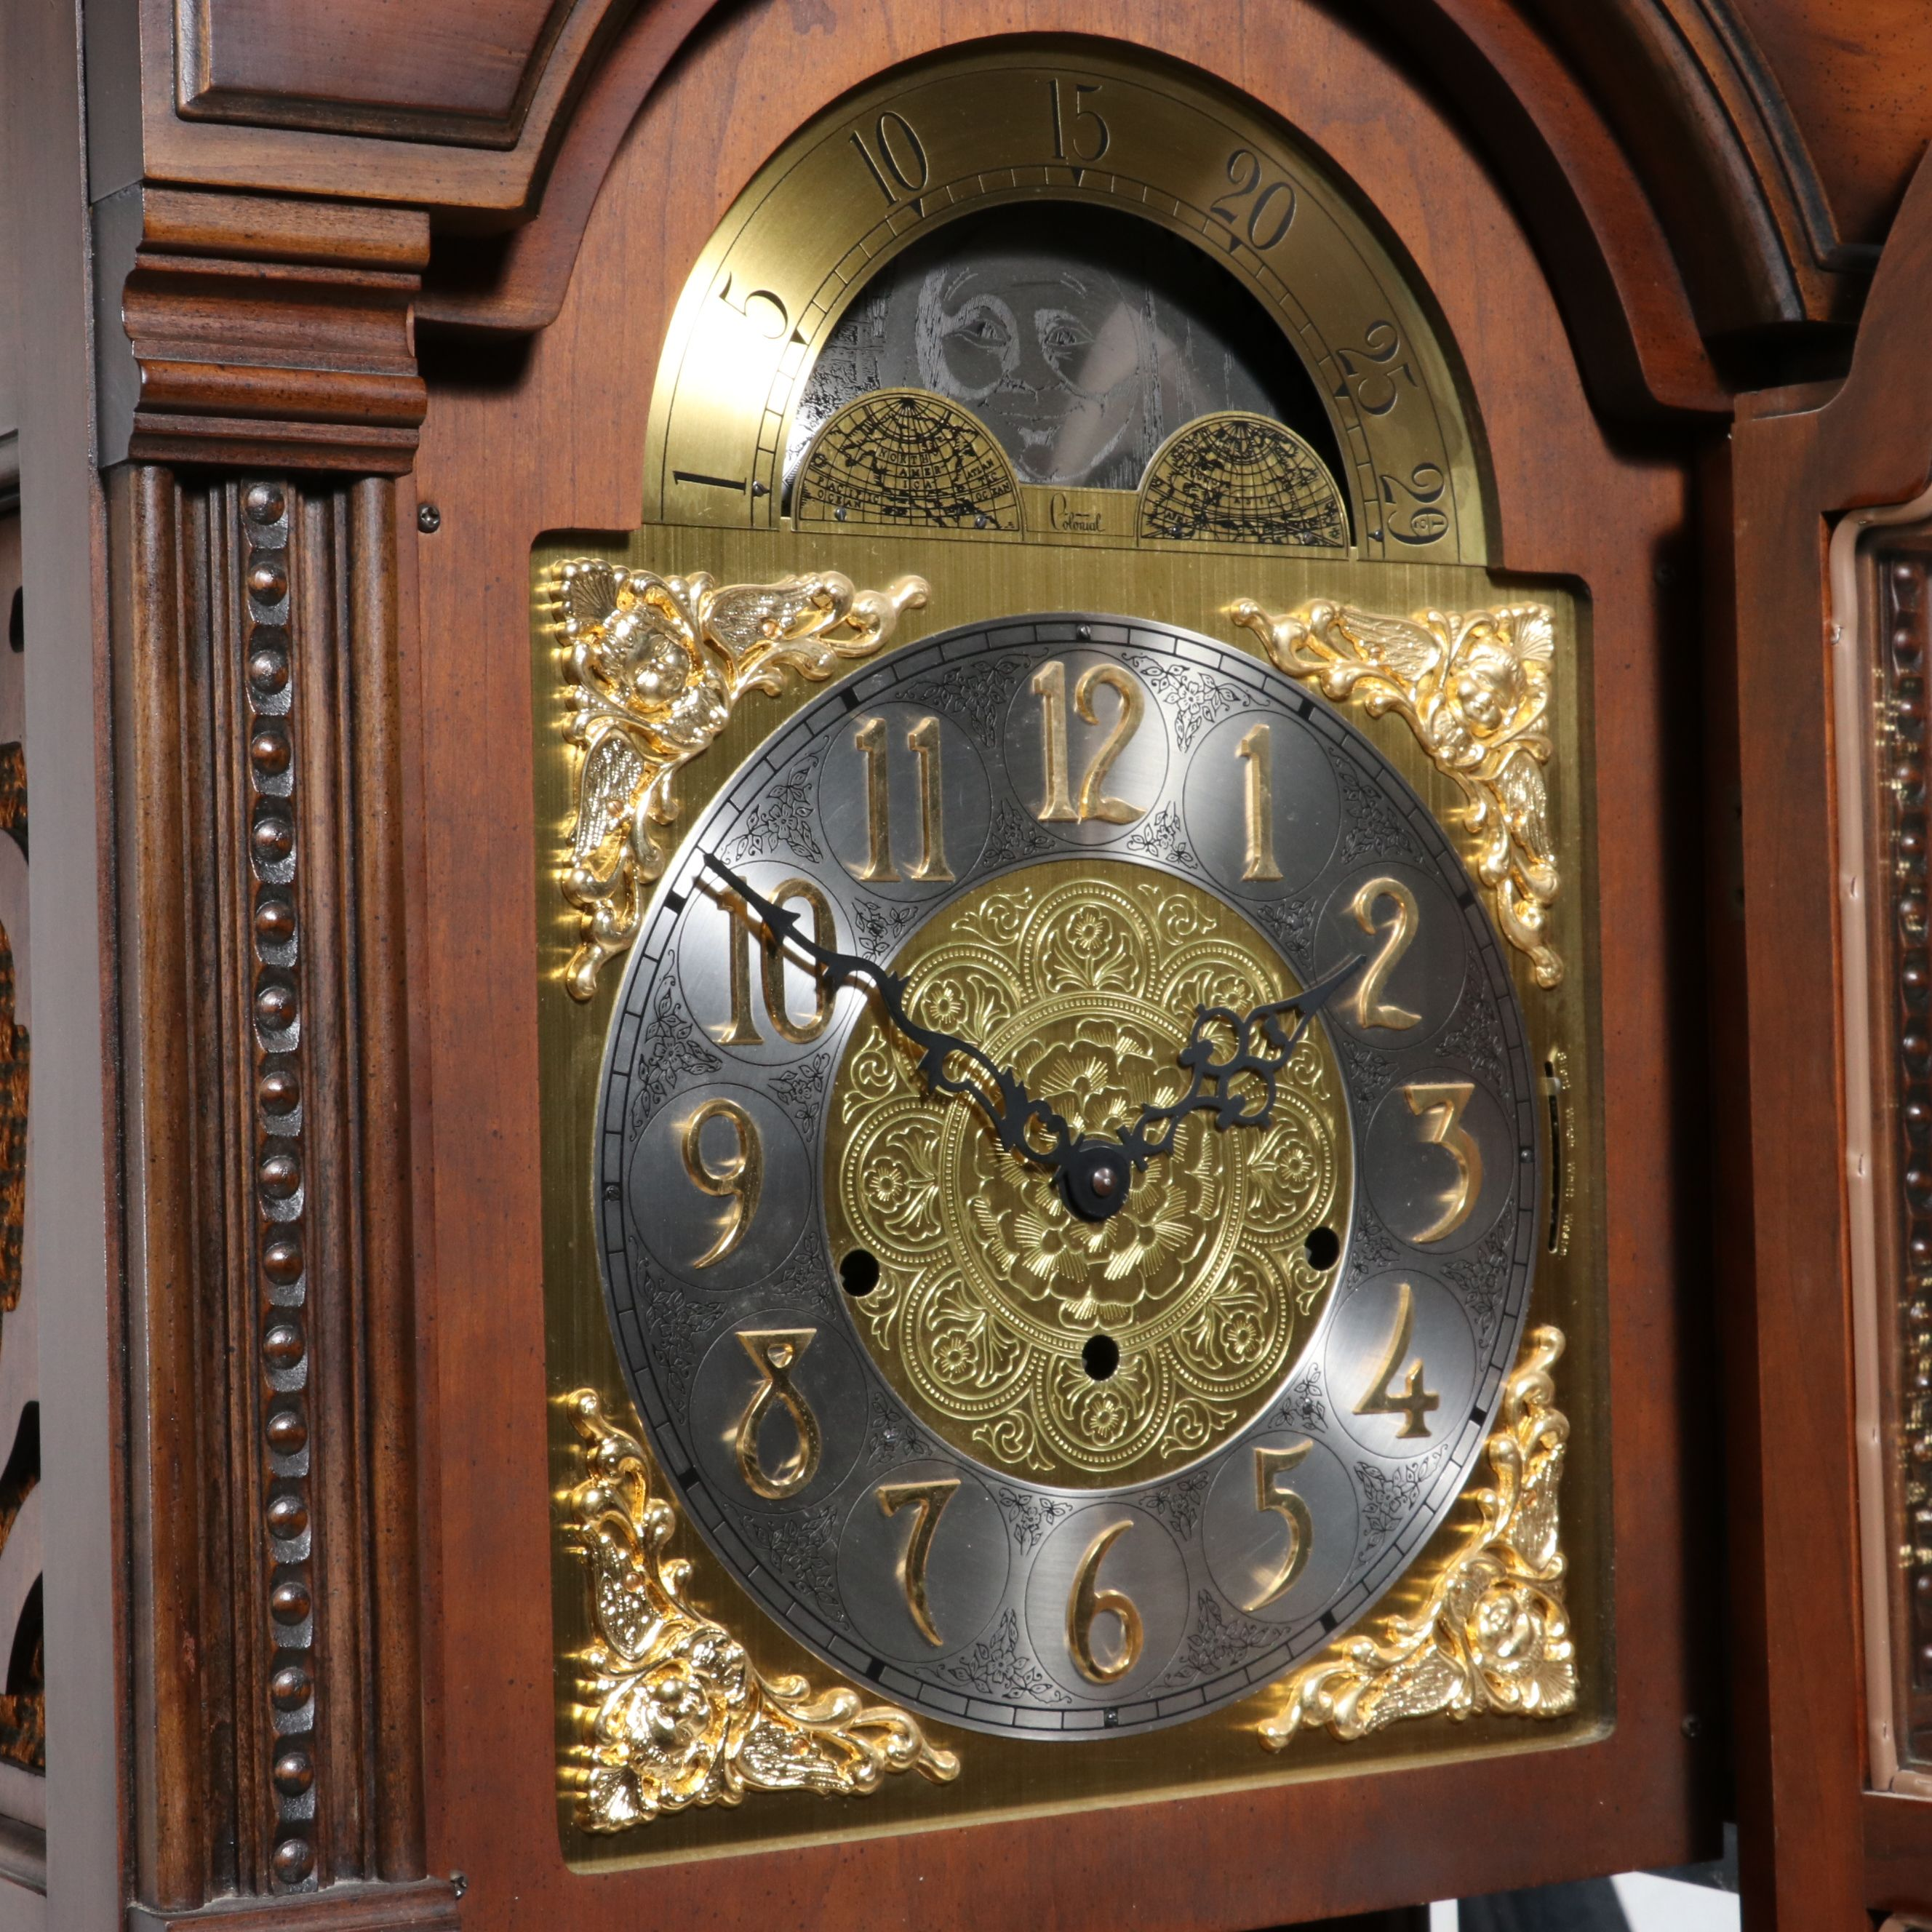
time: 1:50
